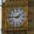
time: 1:46
